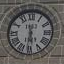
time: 5:31
